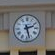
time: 2:27
